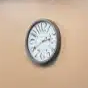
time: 2:39
